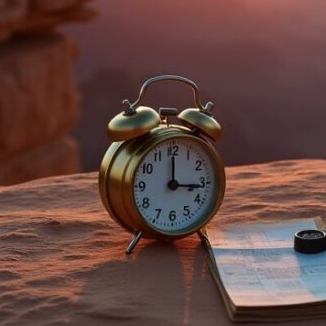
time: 3:00
